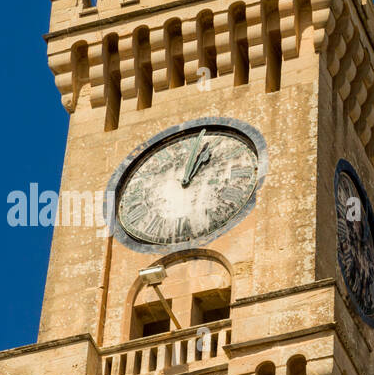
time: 1:02
